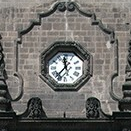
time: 11:37
